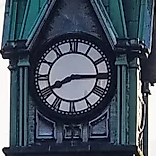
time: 8:14
